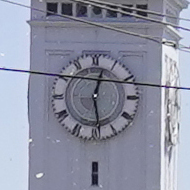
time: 12:28
